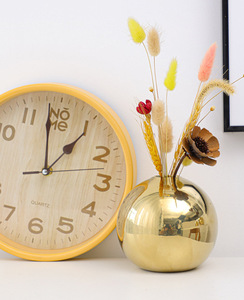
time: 12:58
